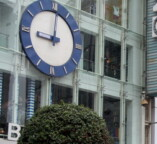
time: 9:01
